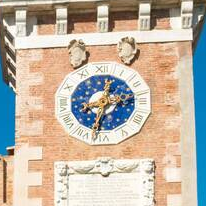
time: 8:32
